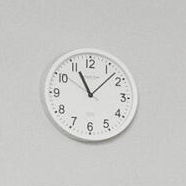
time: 11:07
